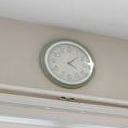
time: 4:08
